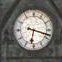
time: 6:17
